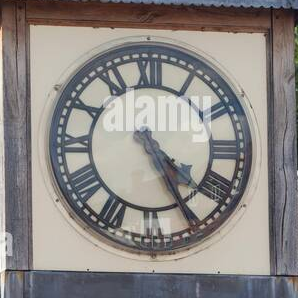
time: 4:25
